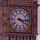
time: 4:16
